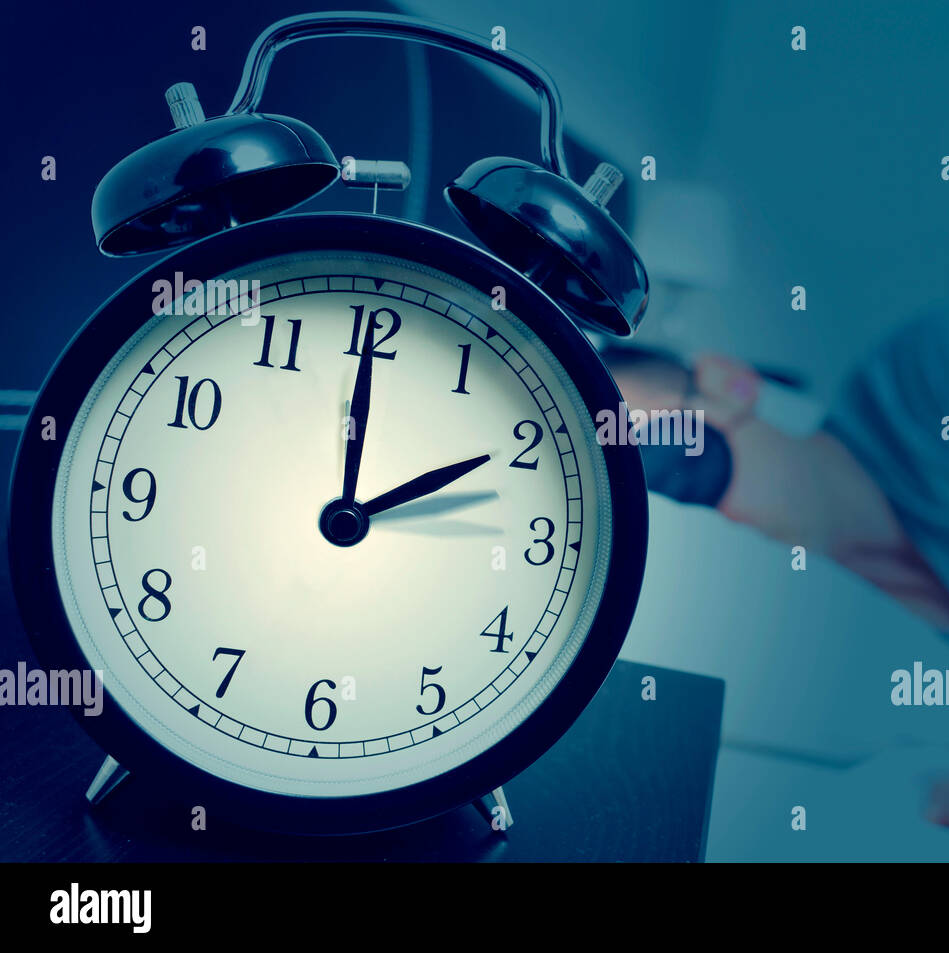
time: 2:00
